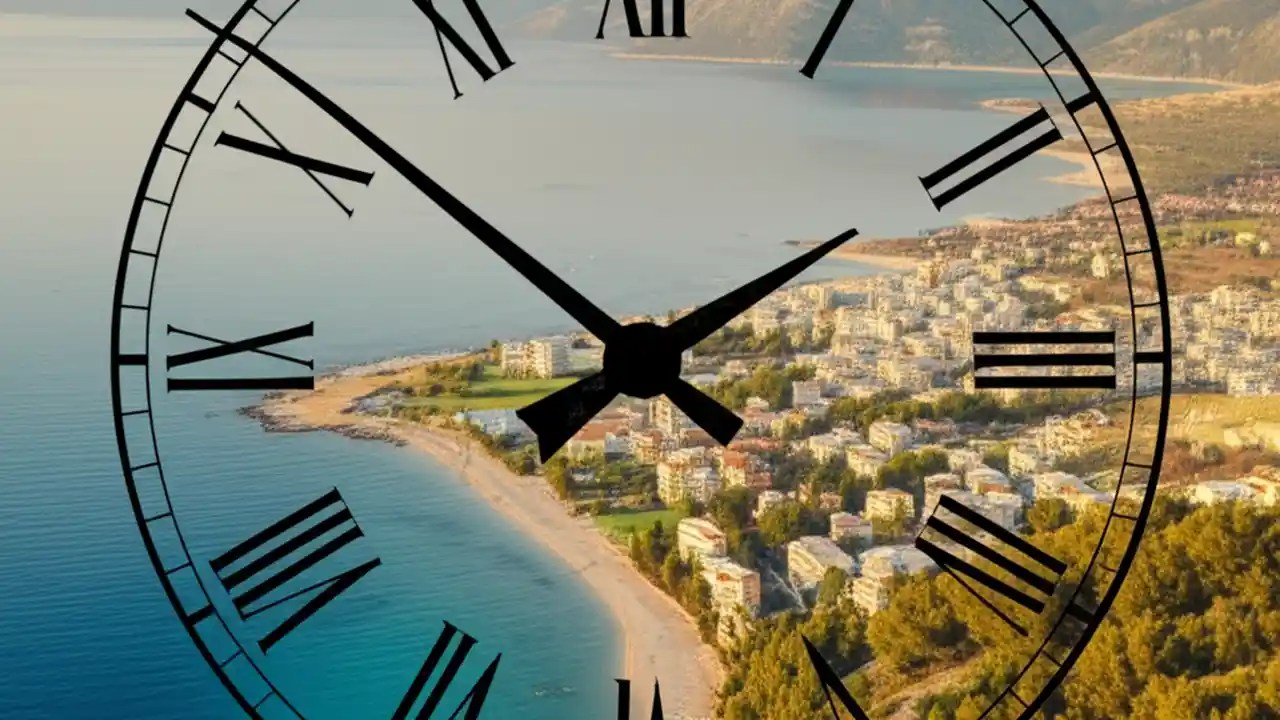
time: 1:51
